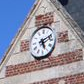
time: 5:11
